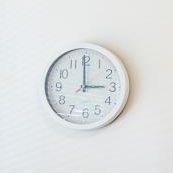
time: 2:59
